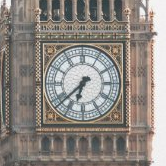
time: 6:38
